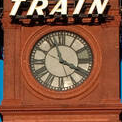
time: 3:56
